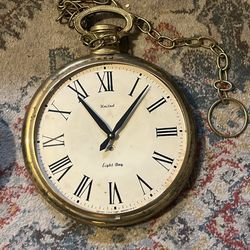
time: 11:06
